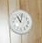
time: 11:02
